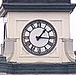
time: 1:16
